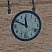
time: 11:49
